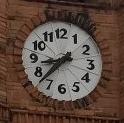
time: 8:37
